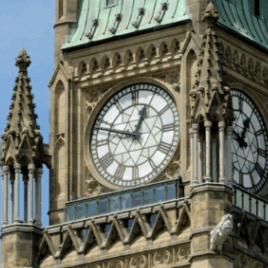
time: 12:48
